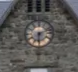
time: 6:11
